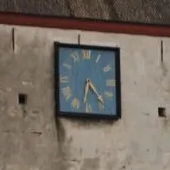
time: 6:23
